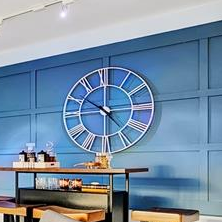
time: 10:14
